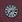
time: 7:13
